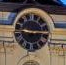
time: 2:45
